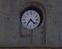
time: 4:36
